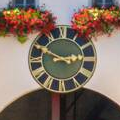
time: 2:49
